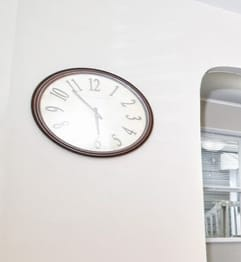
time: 5:53
